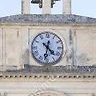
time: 4:31
